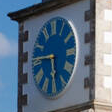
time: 5:45
